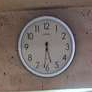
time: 5:31
